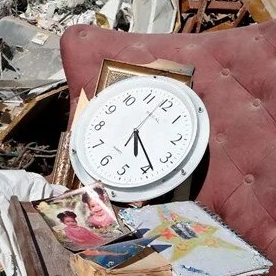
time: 5:23
